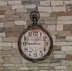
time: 8:45
